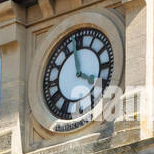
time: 3:58
